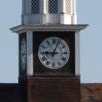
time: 9:03
